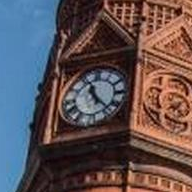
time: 11:22
